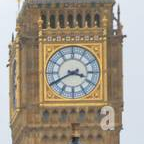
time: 3:40
